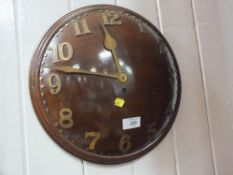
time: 11:46
